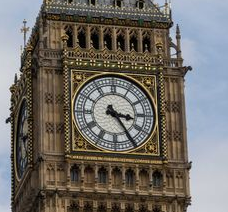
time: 3:24
